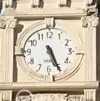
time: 5:26
